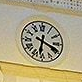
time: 6:18
